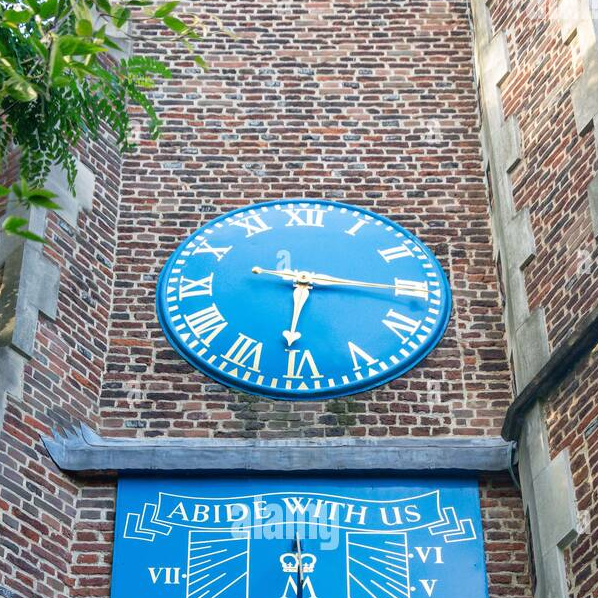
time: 6:16
